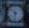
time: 10:32
